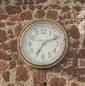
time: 7:11
